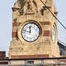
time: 11:47
